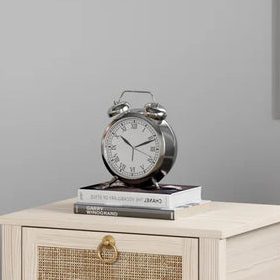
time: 10:11
